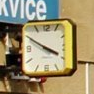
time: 3:50
